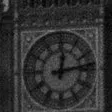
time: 12:13
